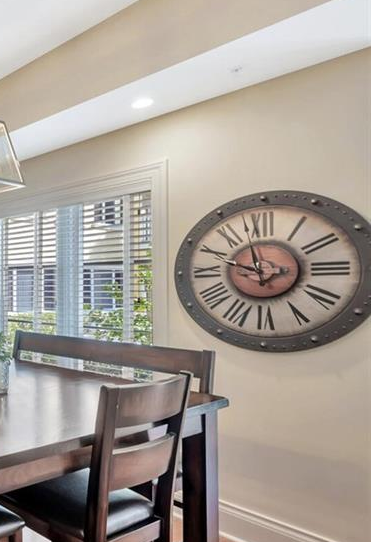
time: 9:57
